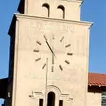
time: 5:54
